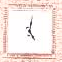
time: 5:01
